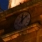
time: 12:07
